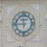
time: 11:45
